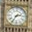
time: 2:35
